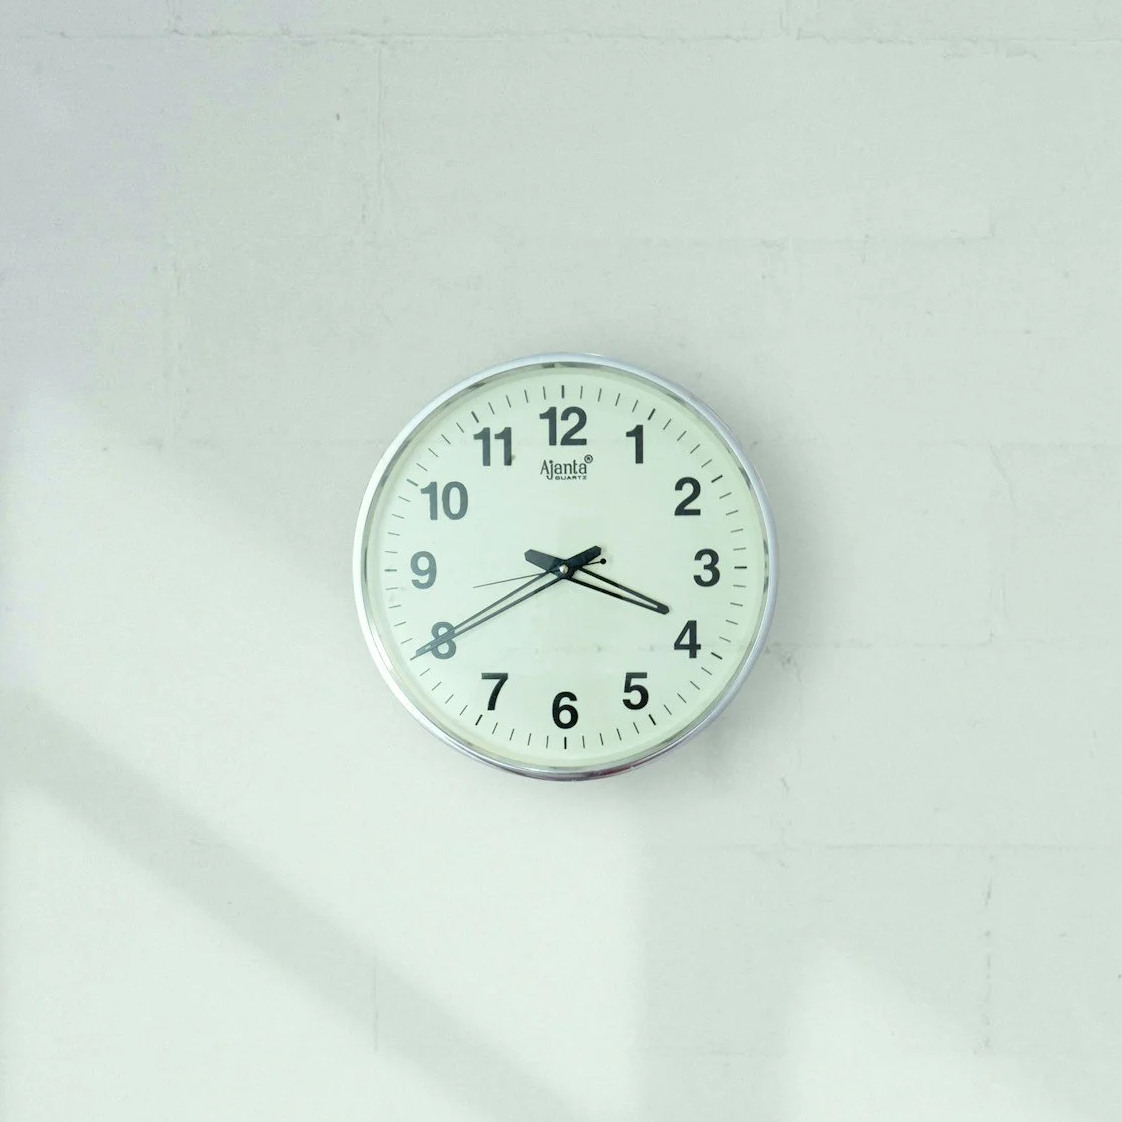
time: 3:40
